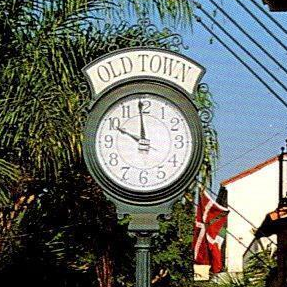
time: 9:59
